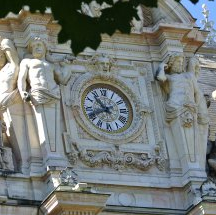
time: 10:41
